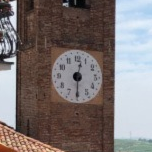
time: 12:30
